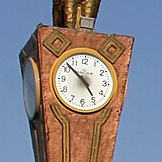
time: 4:51
